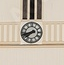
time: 7:42
